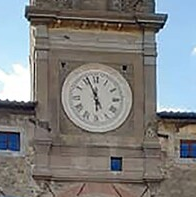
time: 5:56
